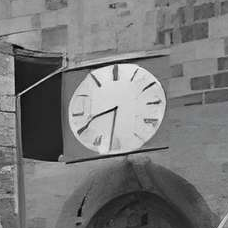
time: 8:31
